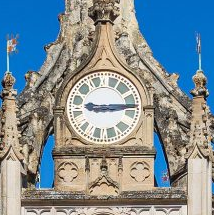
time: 9:14
